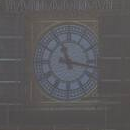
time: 11:17
